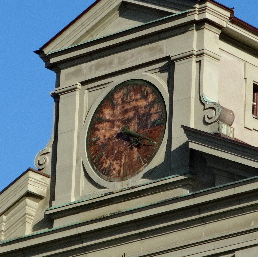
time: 4:19
